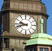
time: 9:42
